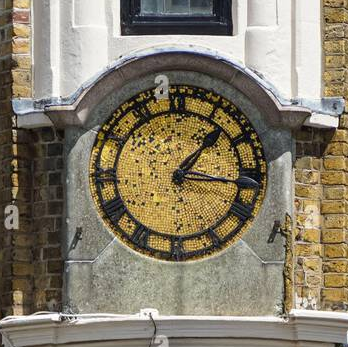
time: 1:16
